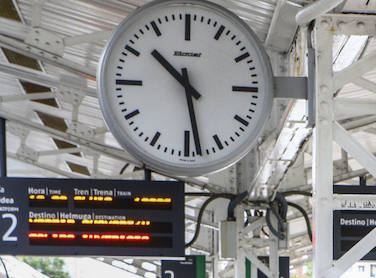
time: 10:28
